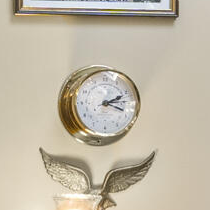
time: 2:18
